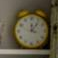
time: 12:06
